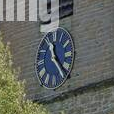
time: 11:23
